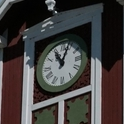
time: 11:04
